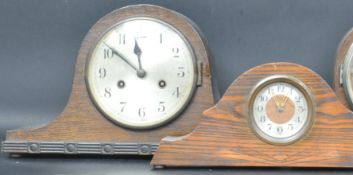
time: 11:51
